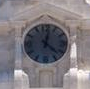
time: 12:22
